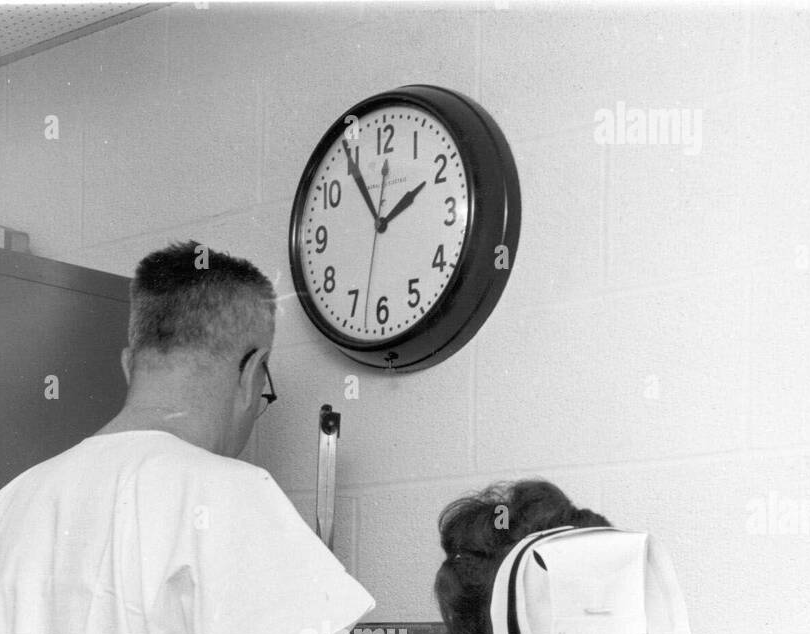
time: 1:54
